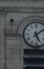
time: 5:08
